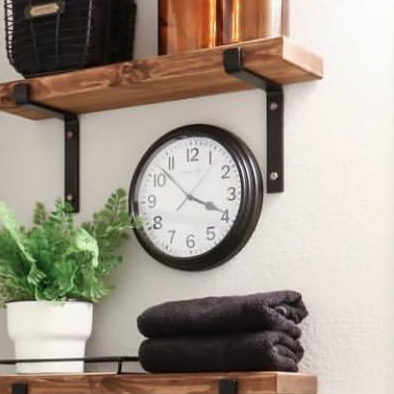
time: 3:52
